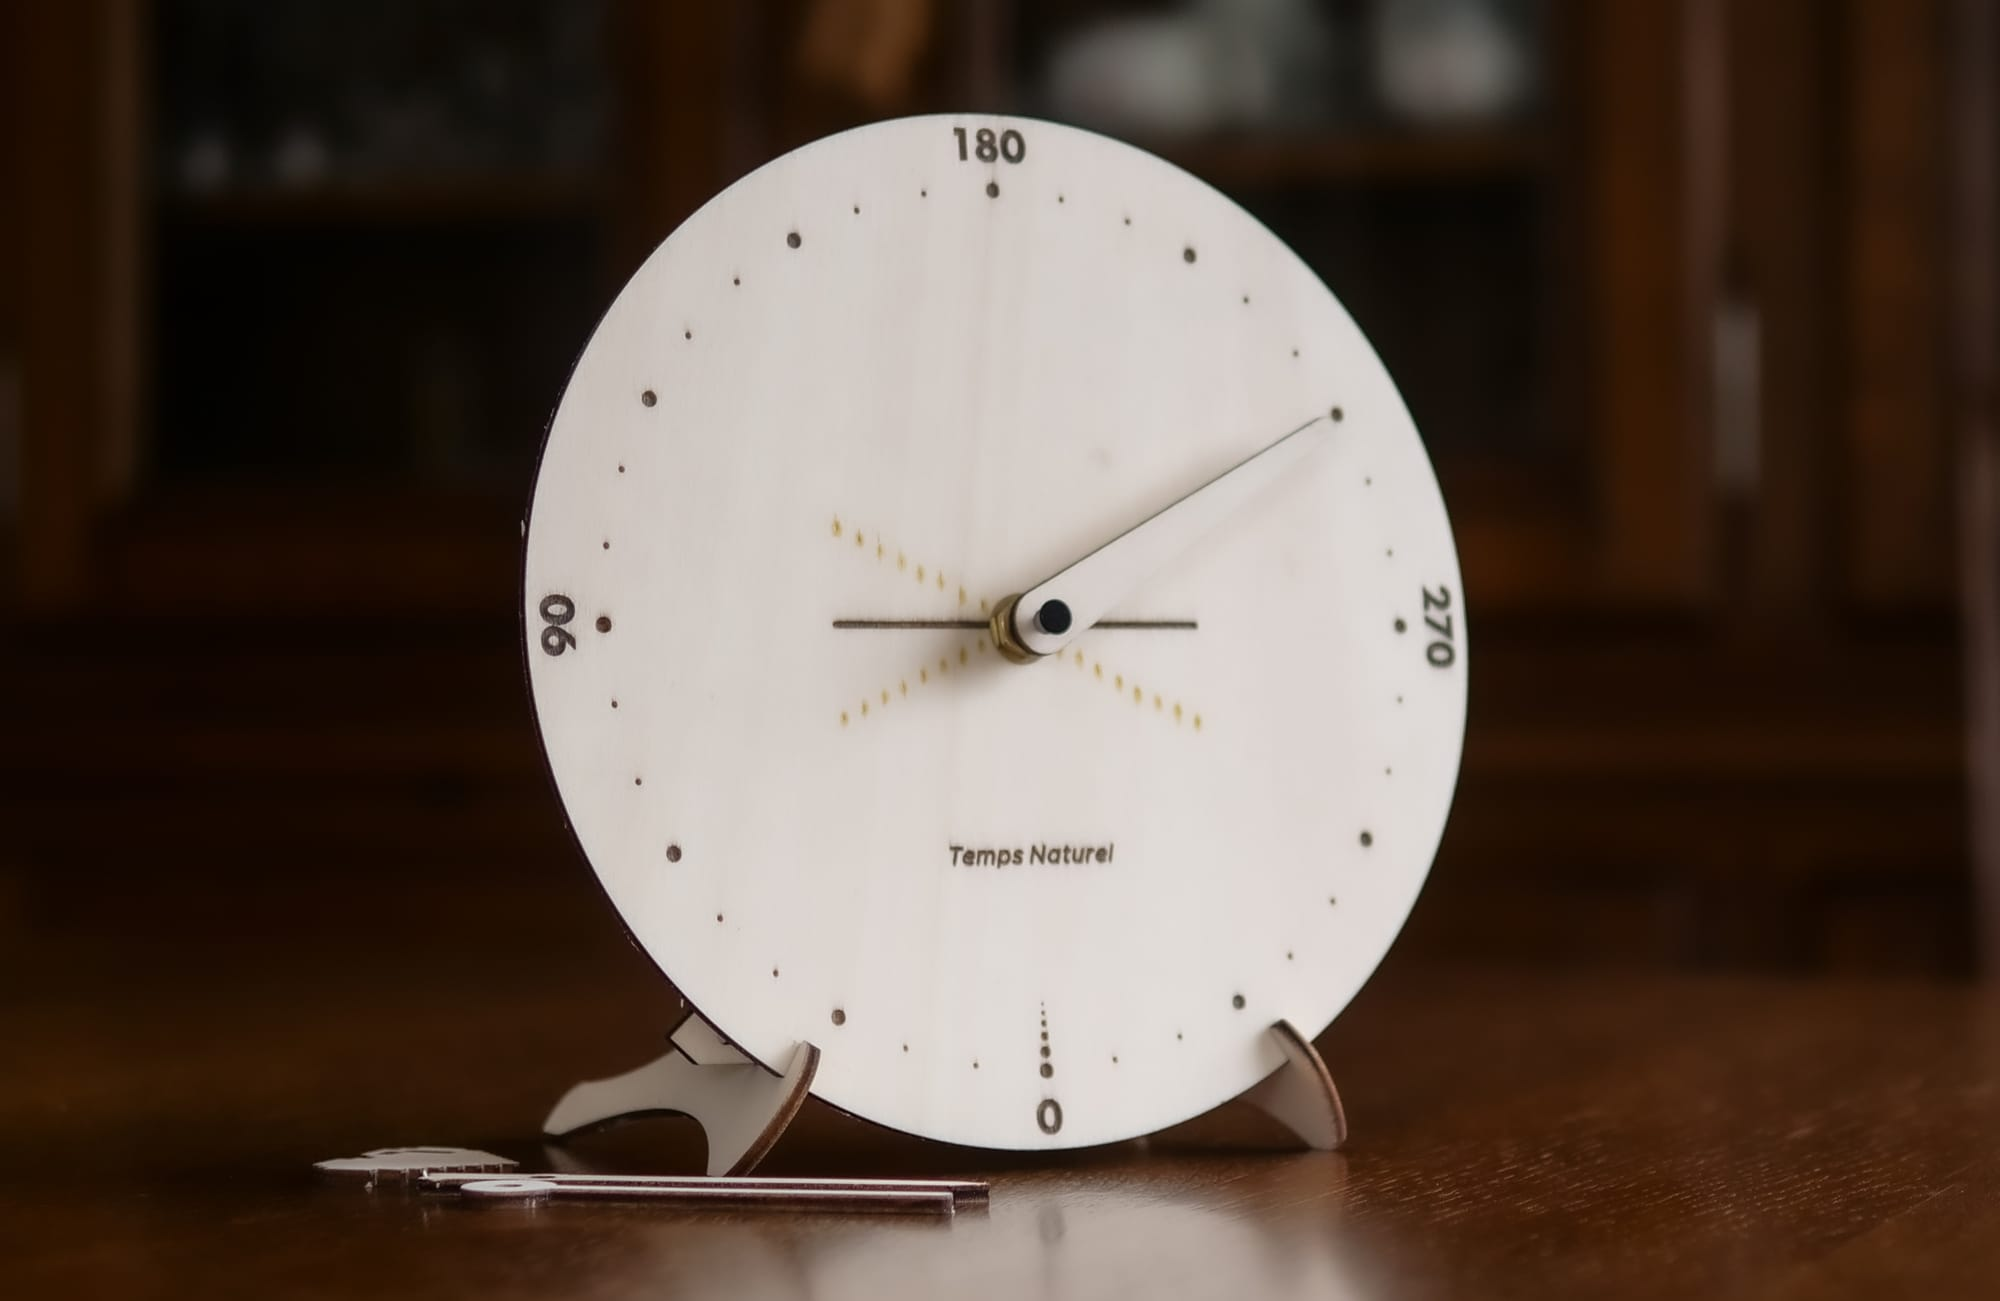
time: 8:09
